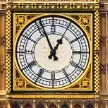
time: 12:56
